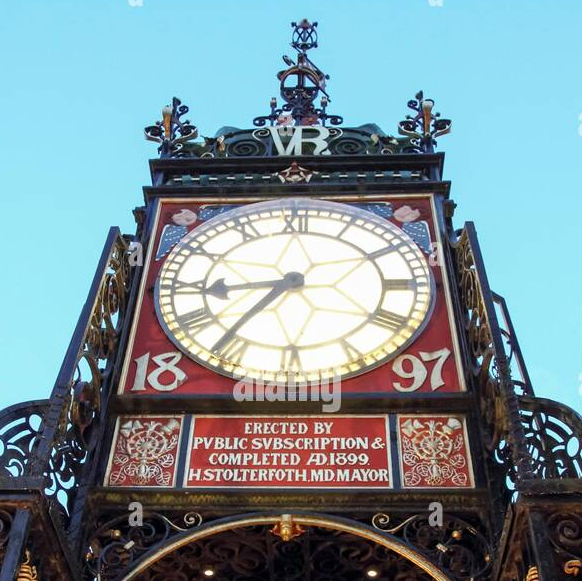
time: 8:36
